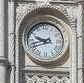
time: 9:42
